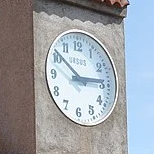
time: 2:51
